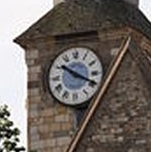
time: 10:19
